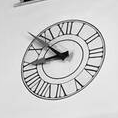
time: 8:52
